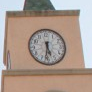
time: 5:31
